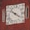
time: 10:21
